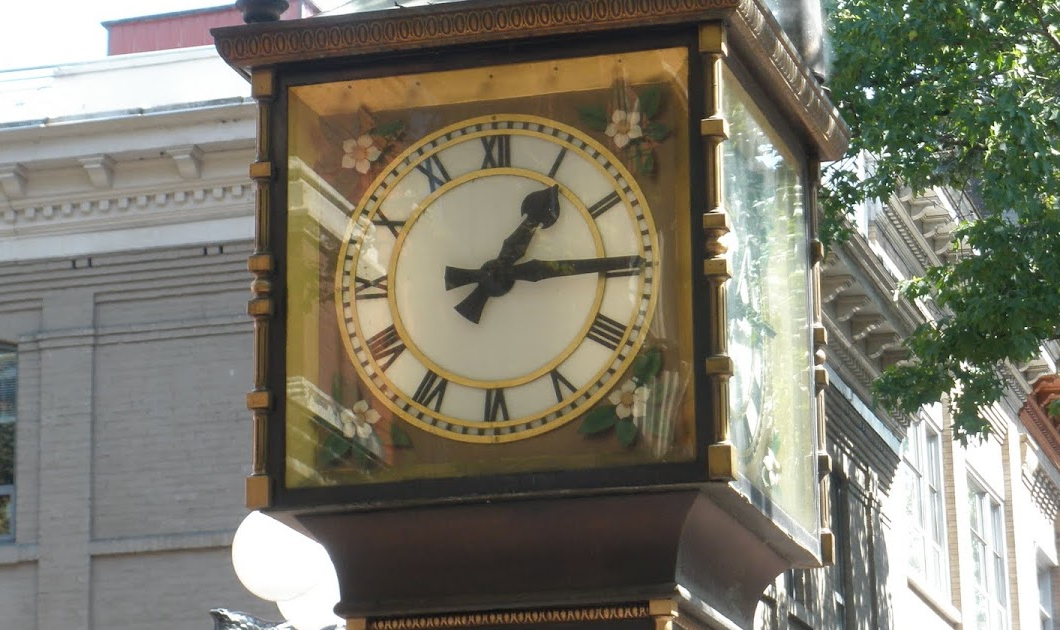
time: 1:14
